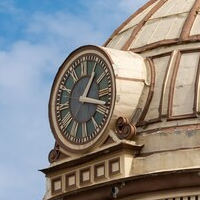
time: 1:18
